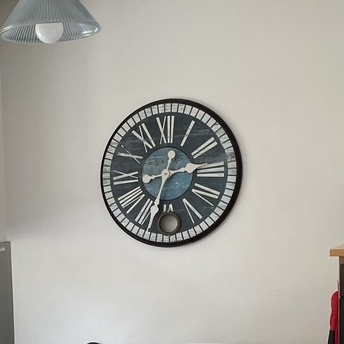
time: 2:33
